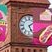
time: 5:08
